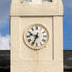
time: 9:34
